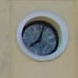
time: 8:03
